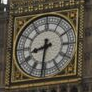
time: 8:31
